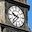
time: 9:36
